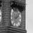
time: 8:07
